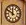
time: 11:50
